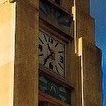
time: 10:36
